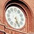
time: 5:26
